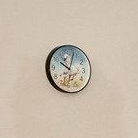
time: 10:02
